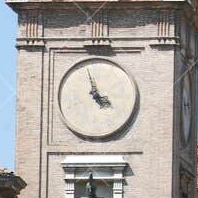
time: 3:57
